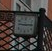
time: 9:14
